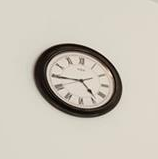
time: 4:44
